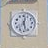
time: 12:27
